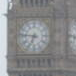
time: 6:46
